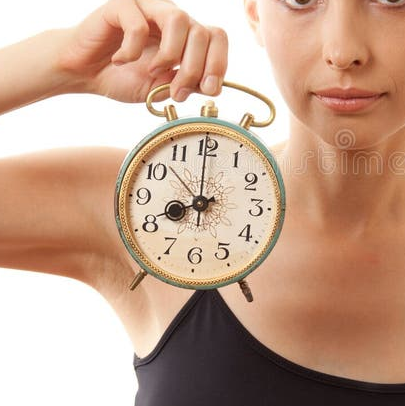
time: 7:59
